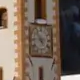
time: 4:52
